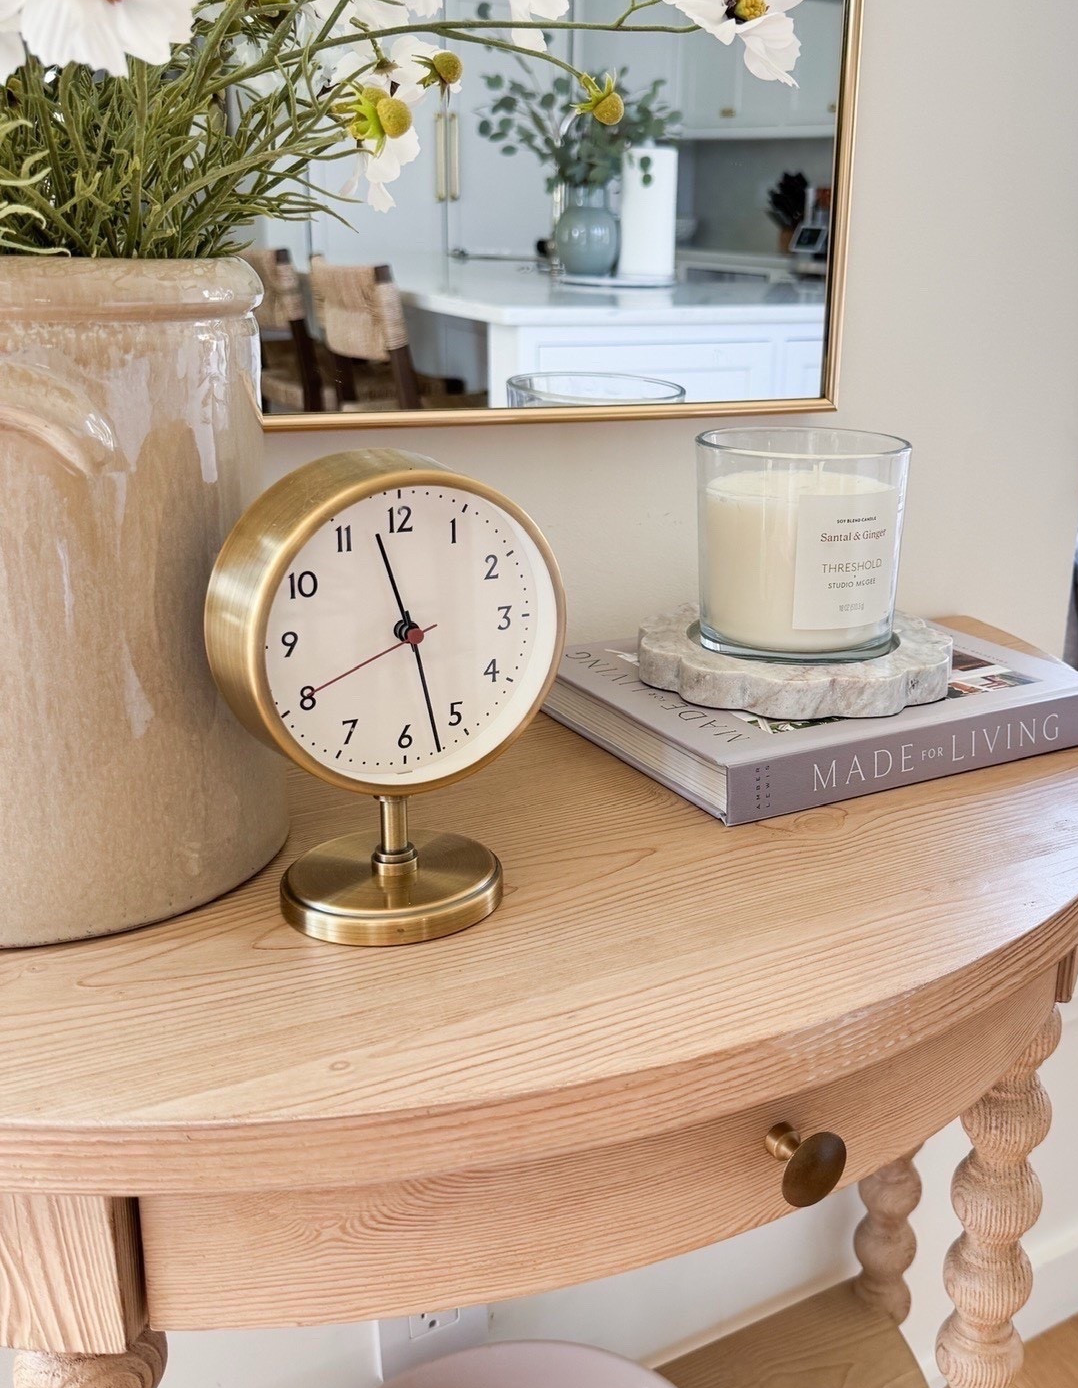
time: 11:27
